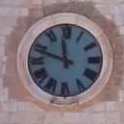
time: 11:48
